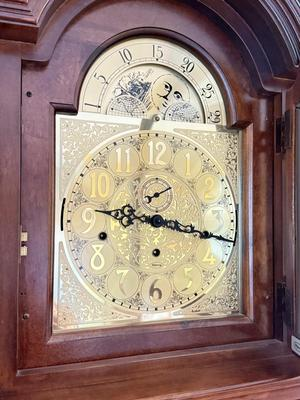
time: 9:17
